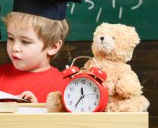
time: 11:35
